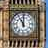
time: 11:00
